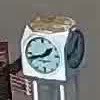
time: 1:42
